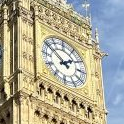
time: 1:51
